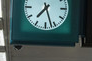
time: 7:27
